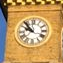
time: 9:53
